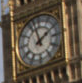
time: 1:57
